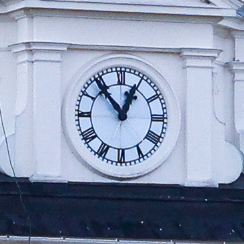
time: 12:53
